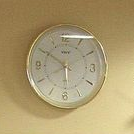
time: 5:50
